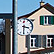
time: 3:30
